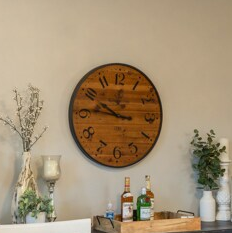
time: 9:45
